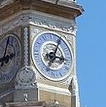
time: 3:04
